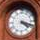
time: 4:18
